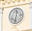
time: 12:32
